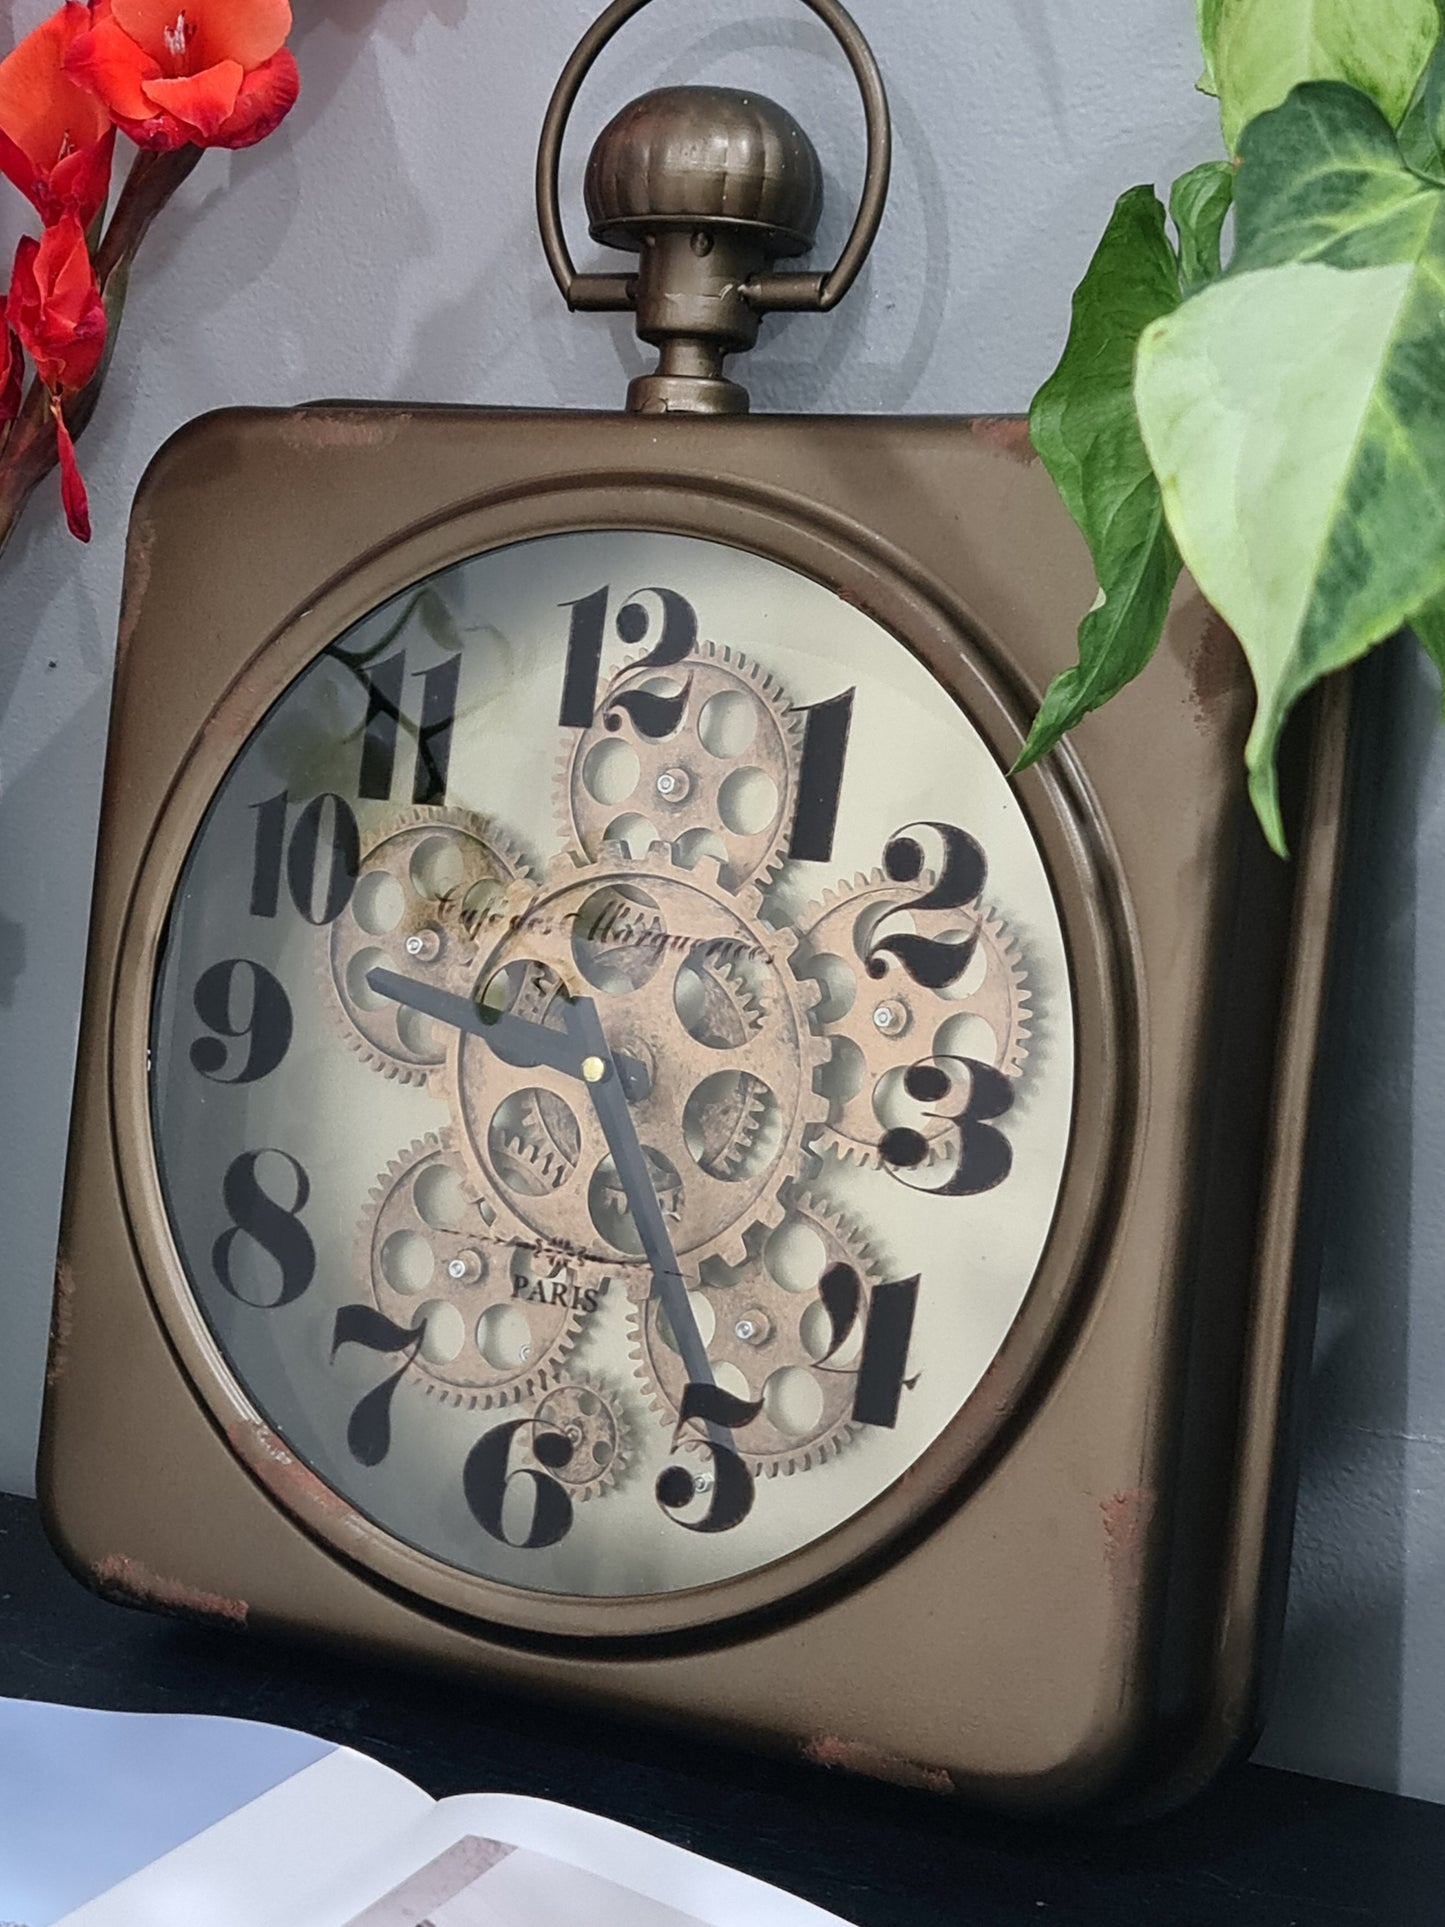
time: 9:24
